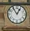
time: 12:55
